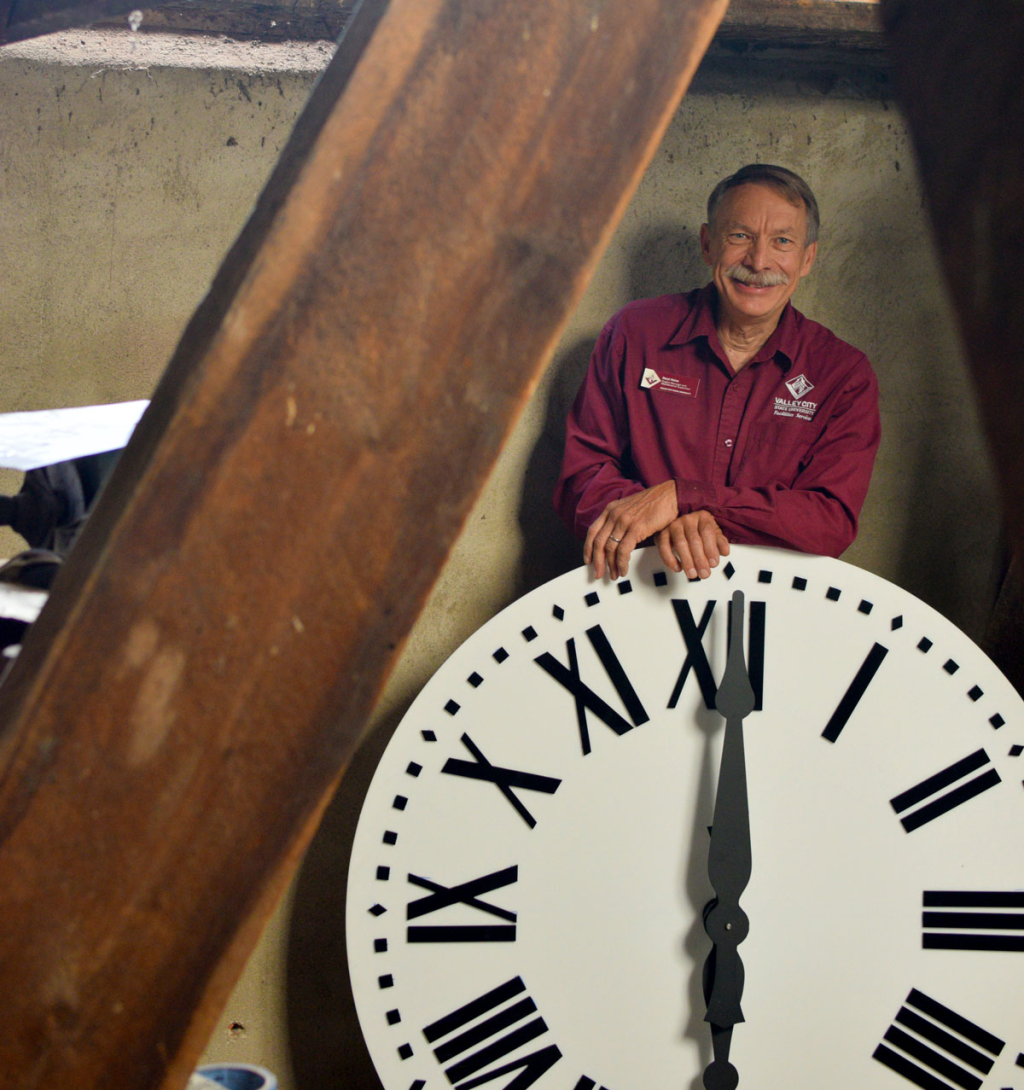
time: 6:00
